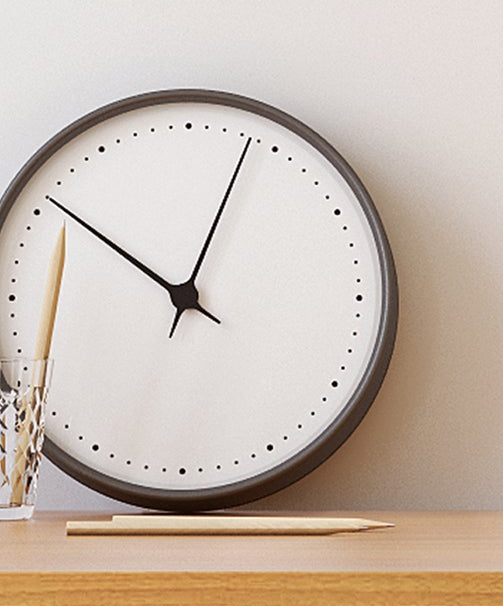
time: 10:03
